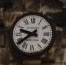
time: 9:38
